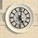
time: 5:01
